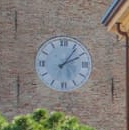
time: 2:06
